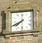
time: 7:40
